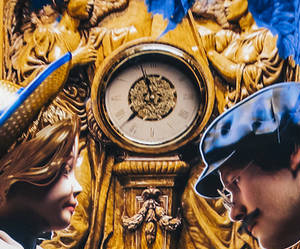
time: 11:37
